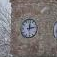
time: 12:13
